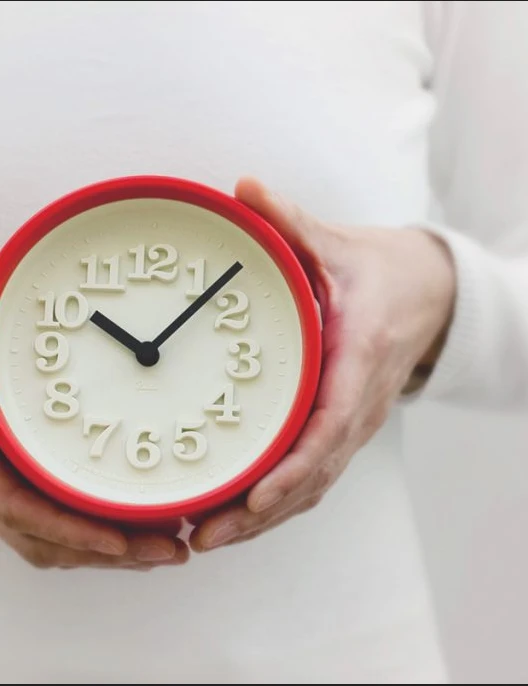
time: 10:07
